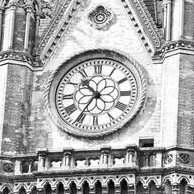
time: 10:35
